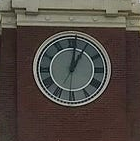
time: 1:01
